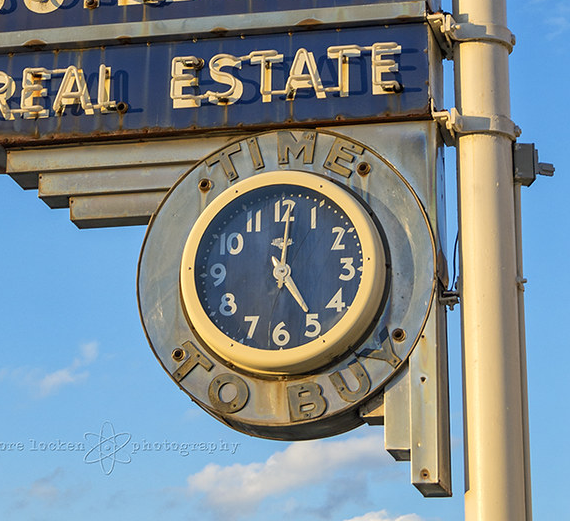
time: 5:01
